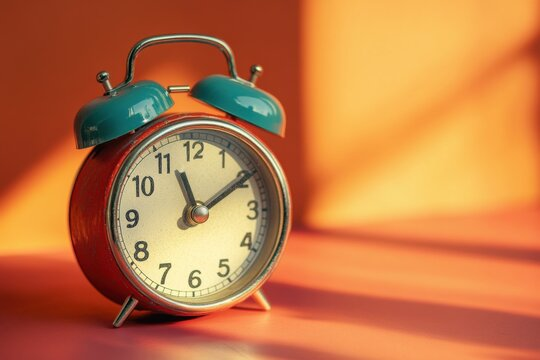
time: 11:09
